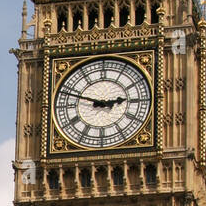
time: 2:48
